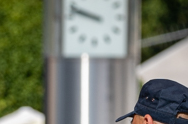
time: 9:48
